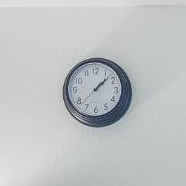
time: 1:07
